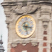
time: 3:27
